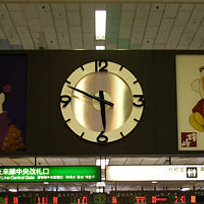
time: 5:48
